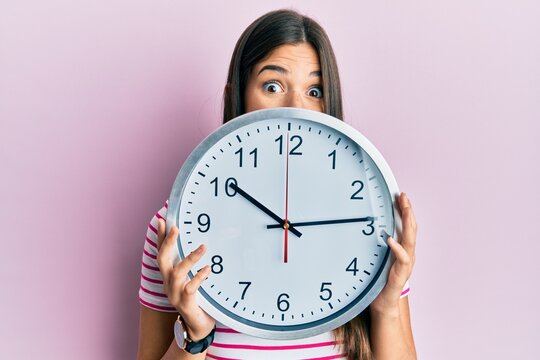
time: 10:13
